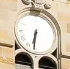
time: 6:31
